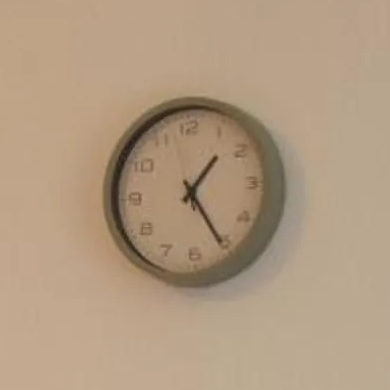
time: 1:25
